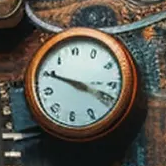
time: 3:49
